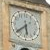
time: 5:38
